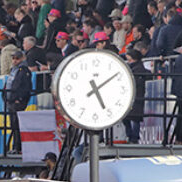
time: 5:08
